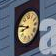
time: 8:48
